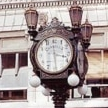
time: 3:29
